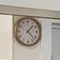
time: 1:22
